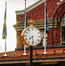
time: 7:28
